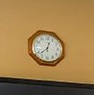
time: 12:37
